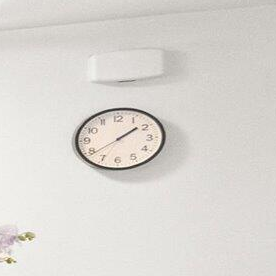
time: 1:39
